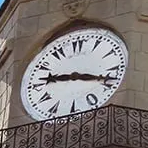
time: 9:17
